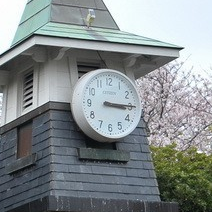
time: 3:15
